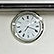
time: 7:18
